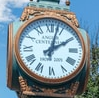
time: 2:02
